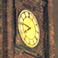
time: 7:46
